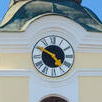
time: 4:49
